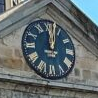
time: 12:02
